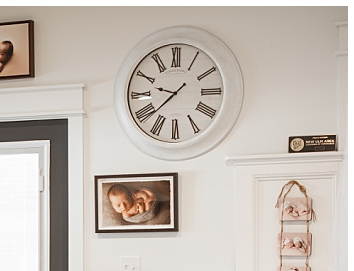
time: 9:38
